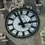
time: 2:57
